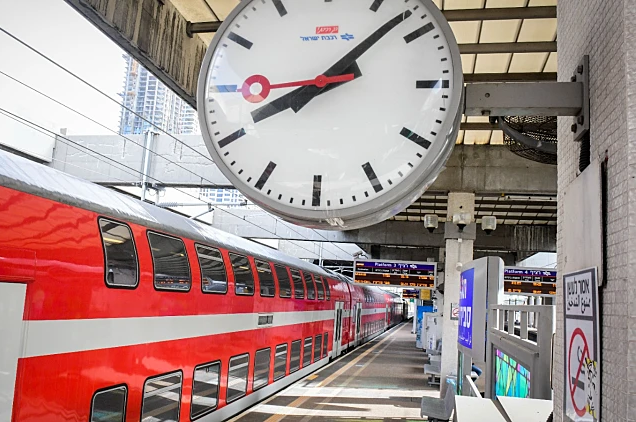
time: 8:07
